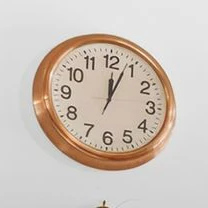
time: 12:03
